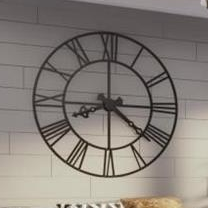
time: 8:21
